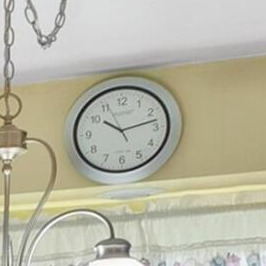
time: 10:12
